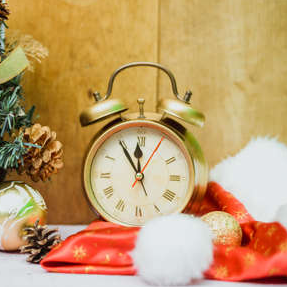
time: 11:54
